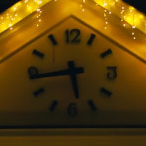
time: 5:43
